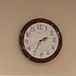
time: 2:35
